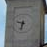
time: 9:33
